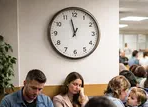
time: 12:57
